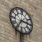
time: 7:15
